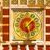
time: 1:28
